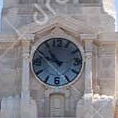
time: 10:48
